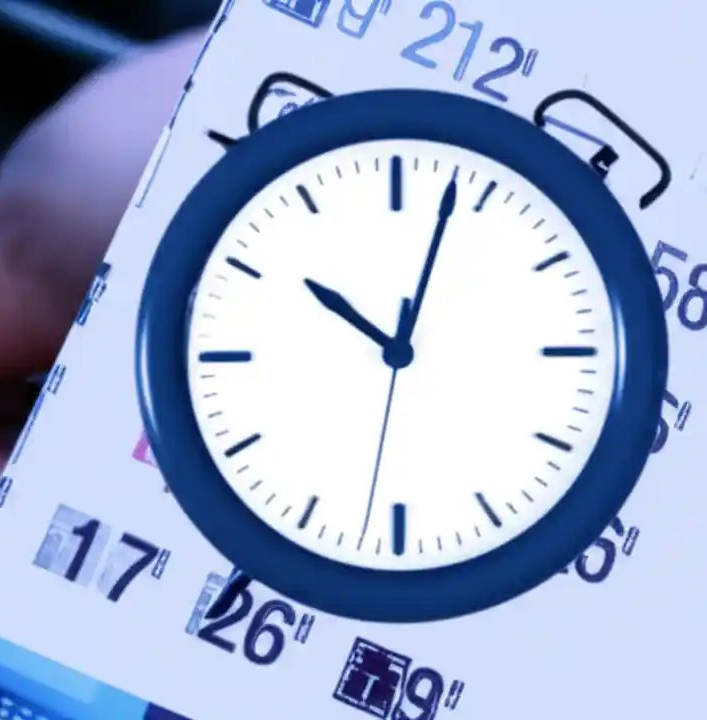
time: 10:03
